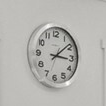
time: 3:08
